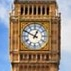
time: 12:49
